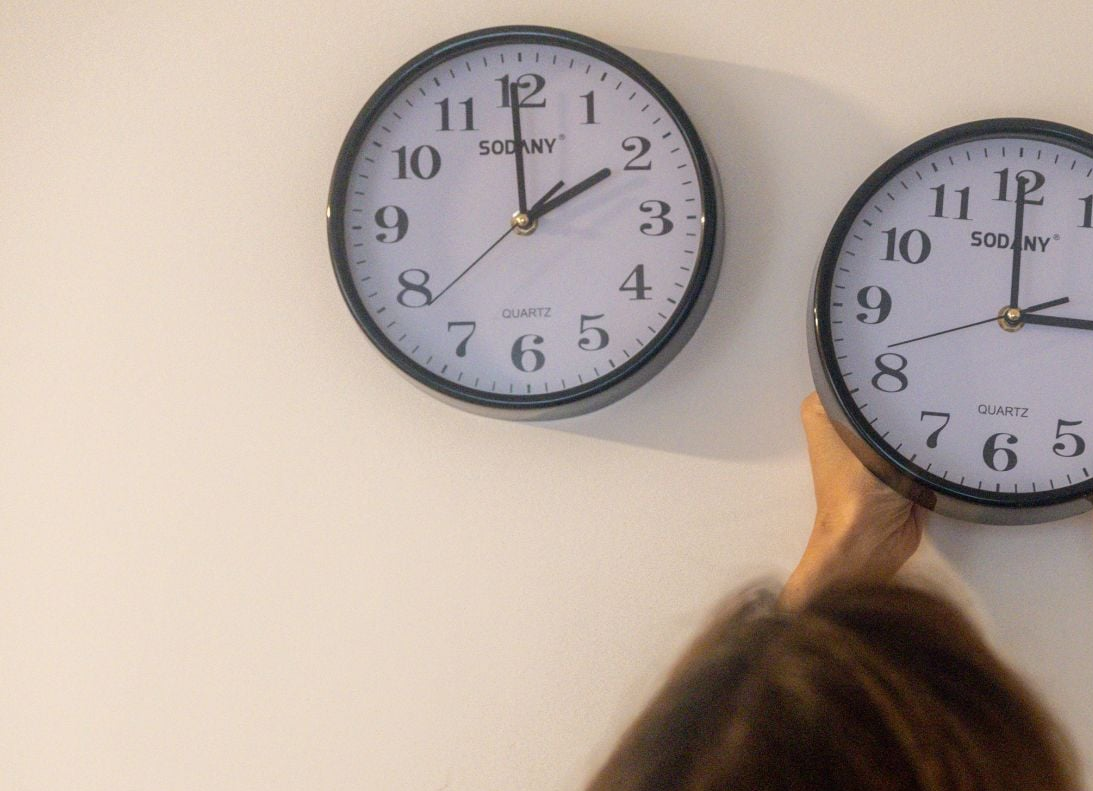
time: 1:59
